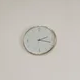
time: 2:18
